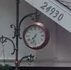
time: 7:32
